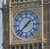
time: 1:37
